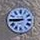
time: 8:45
